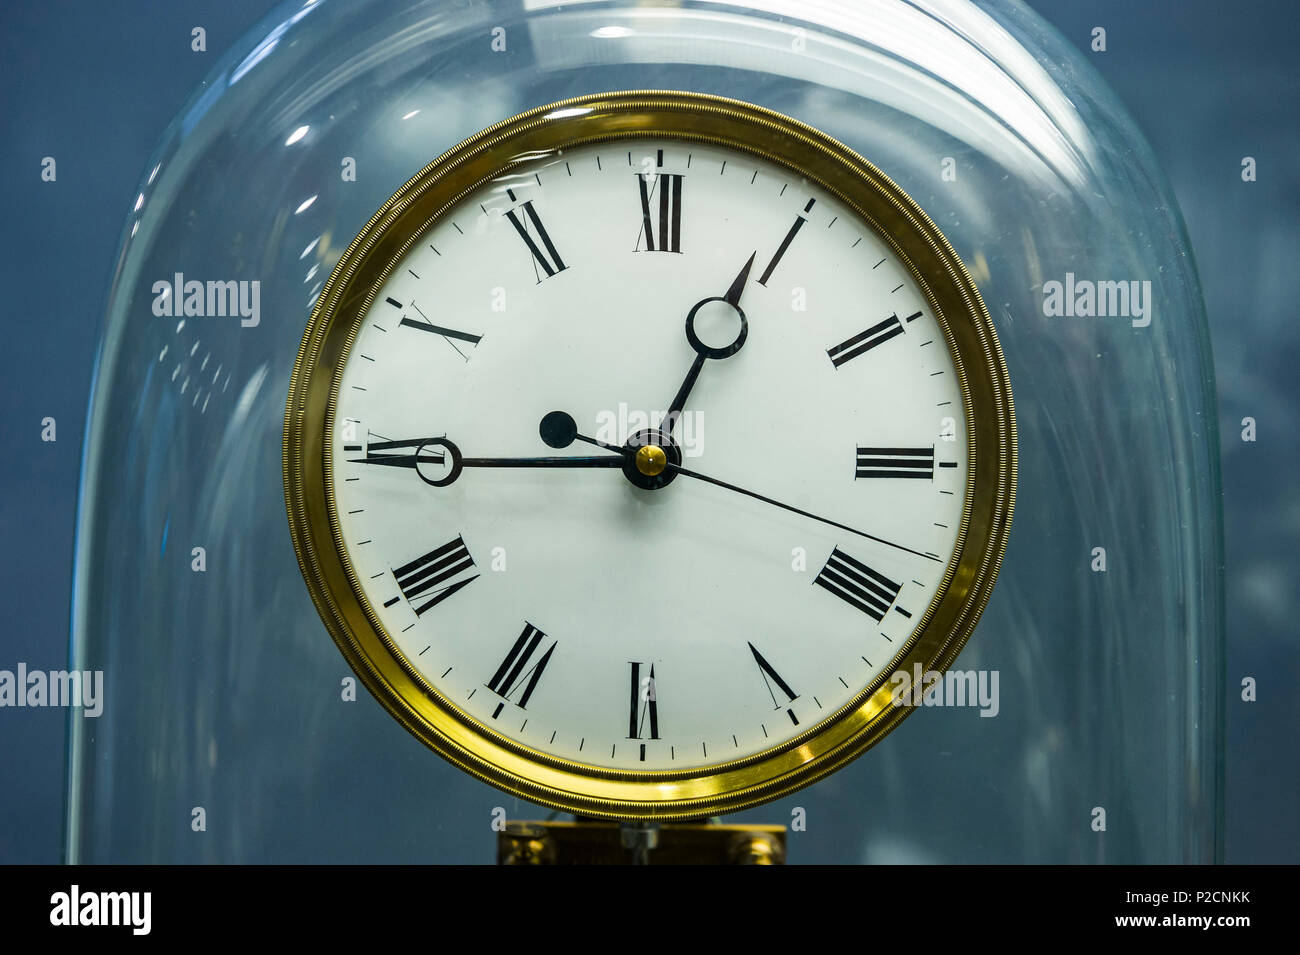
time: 12:45
